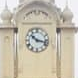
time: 10:17
